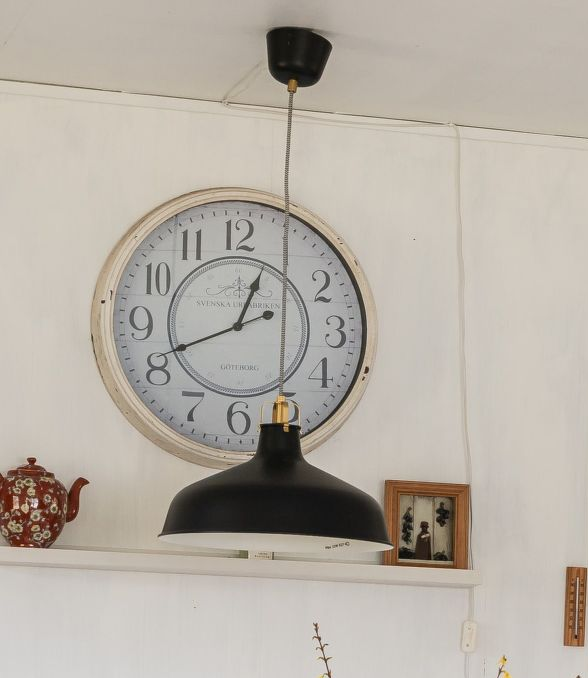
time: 12:41
